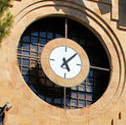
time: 5:08
